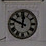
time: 11:48
